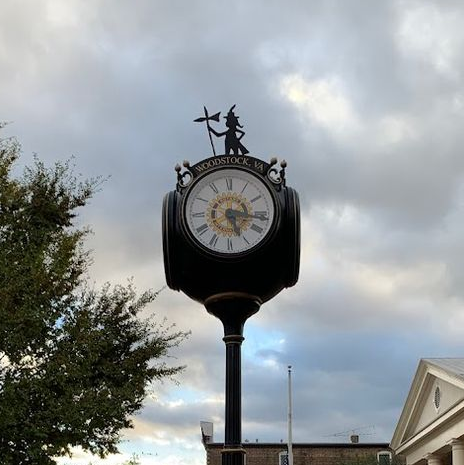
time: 5:16
